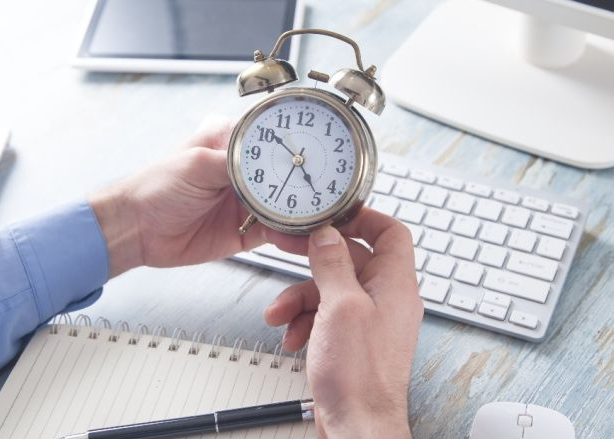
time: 4:51
